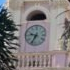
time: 9:34
